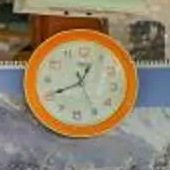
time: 12:40
